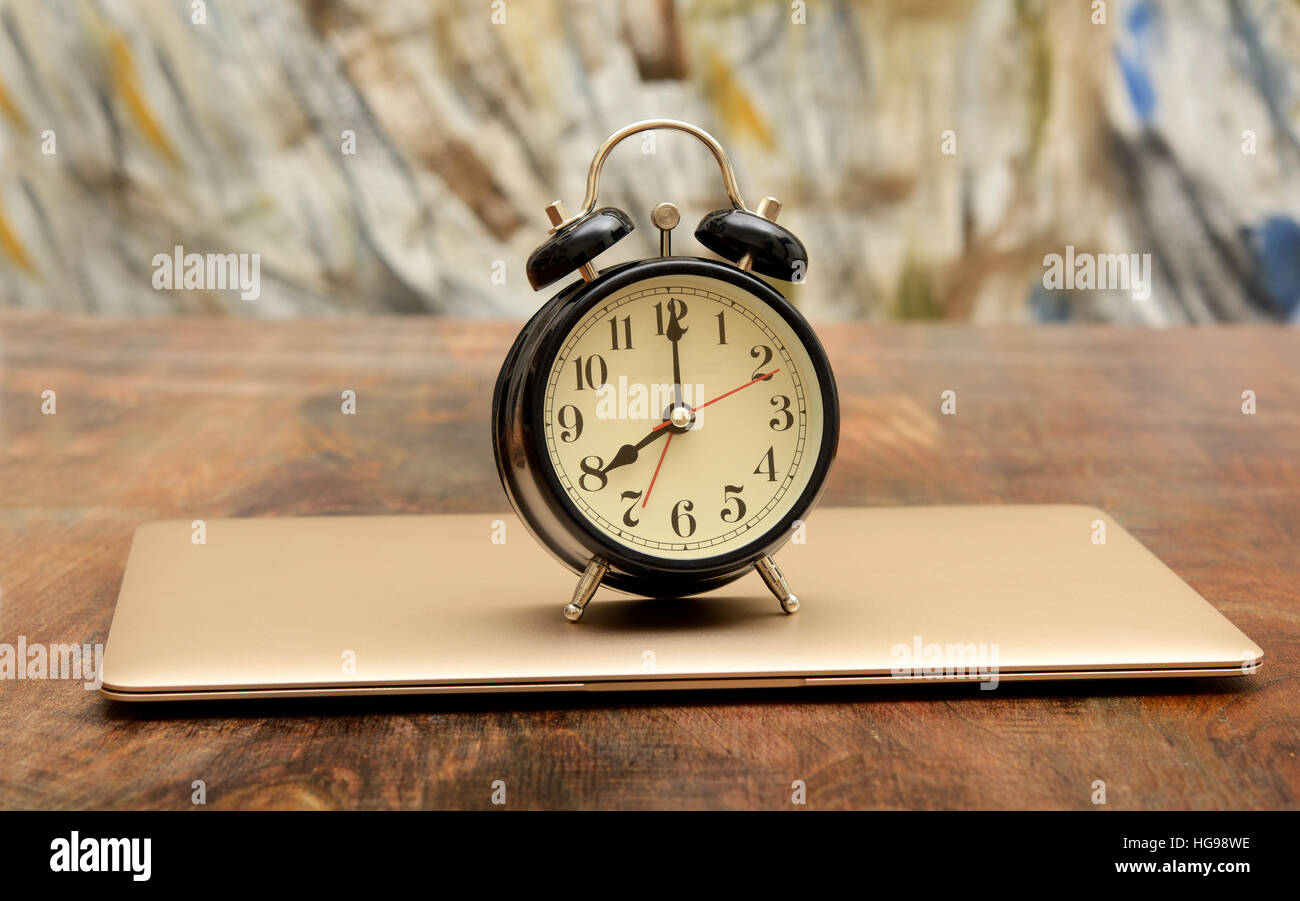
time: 8:00
